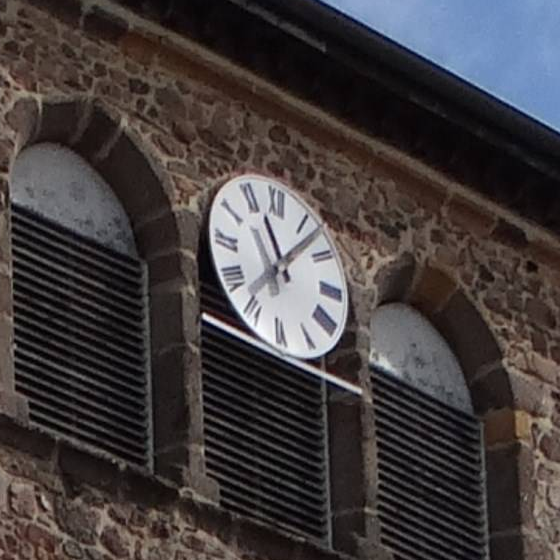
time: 11:07
